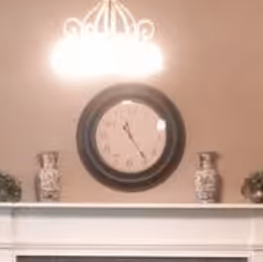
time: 11:23
